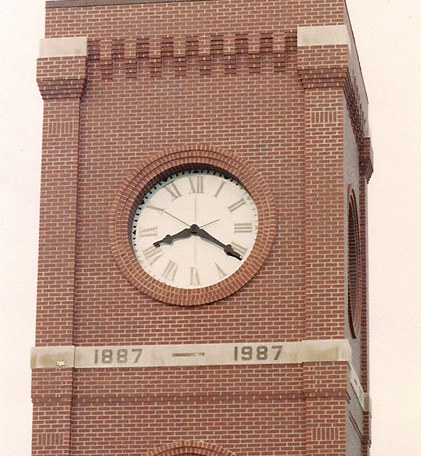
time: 8:20
